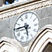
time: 5:45
